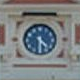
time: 4:29
